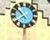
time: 7:52
